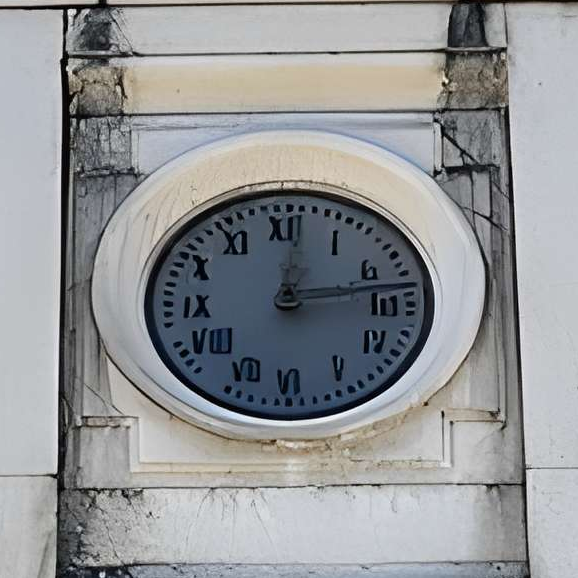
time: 12:13
